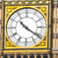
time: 10:20
